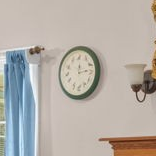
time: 12:13
